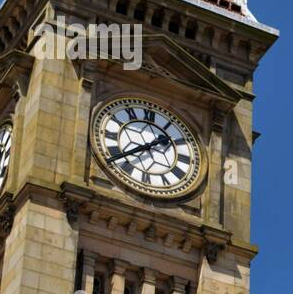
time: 1:38
